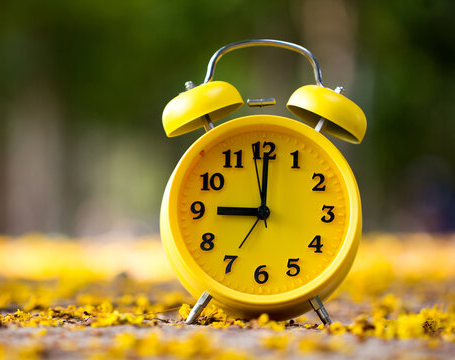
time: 9:00
